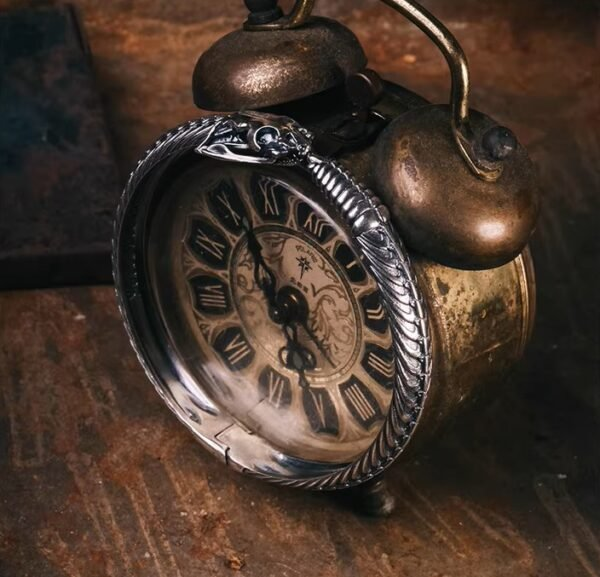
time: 5:57
